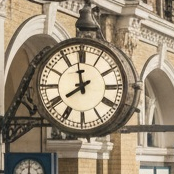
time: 7:58
